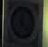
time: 12:22
